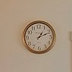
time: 1:11
